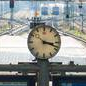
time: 3:18
